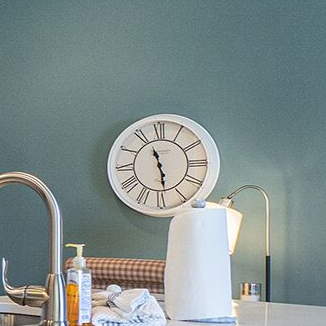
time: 11:28
